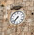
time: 7:37
